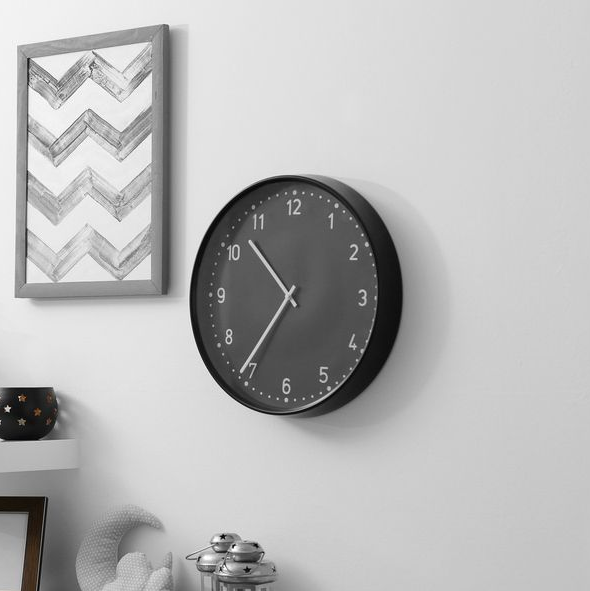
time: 10:35
